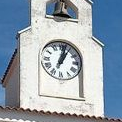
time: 1:02
